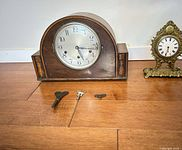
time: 5:16
